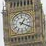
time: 1:18
